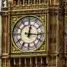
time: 12:16
